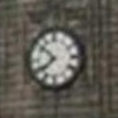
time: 7:51
